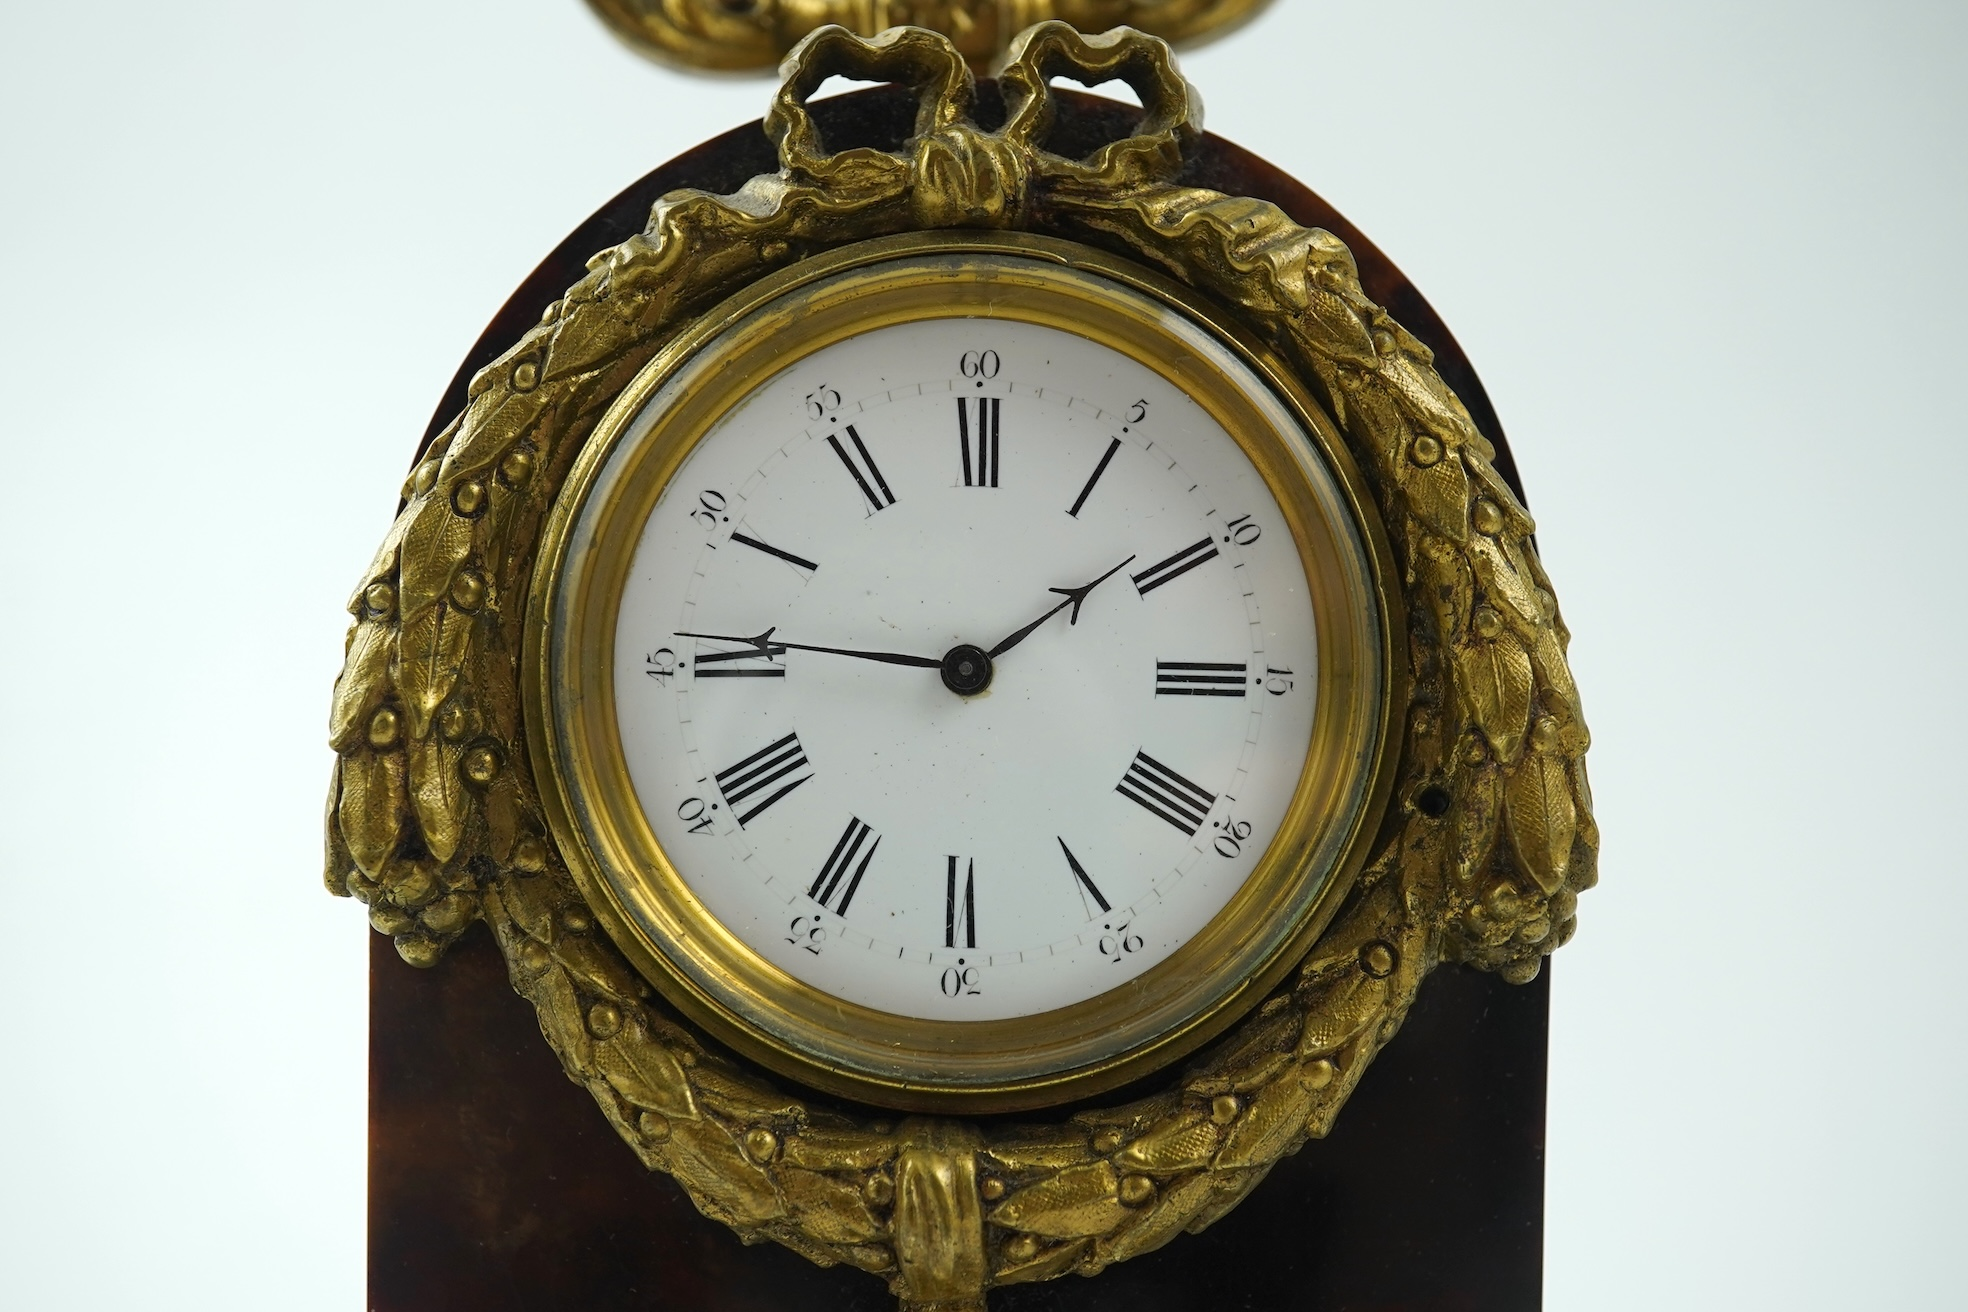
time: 9:09
